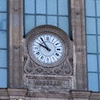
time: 9:54
